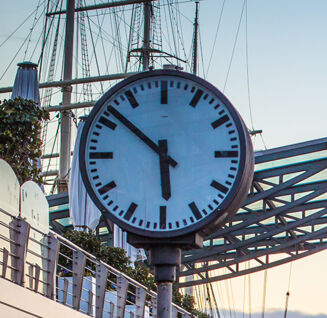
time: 5:51
